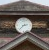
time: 2:37
